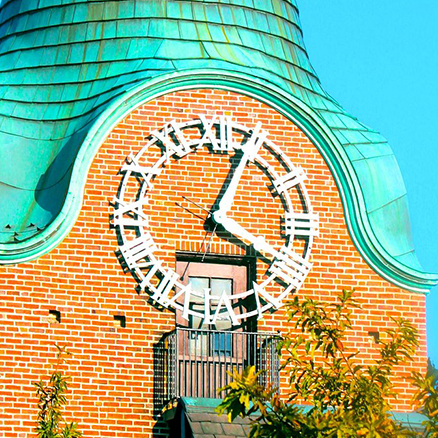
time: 4:03
